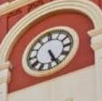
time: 5:26
